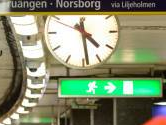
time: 4:28
